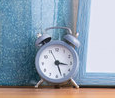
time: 3:27
